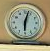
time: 6:02
